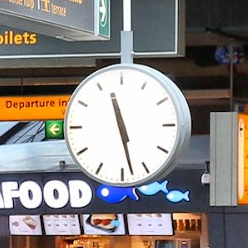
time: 11:28
